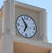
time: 6:54
